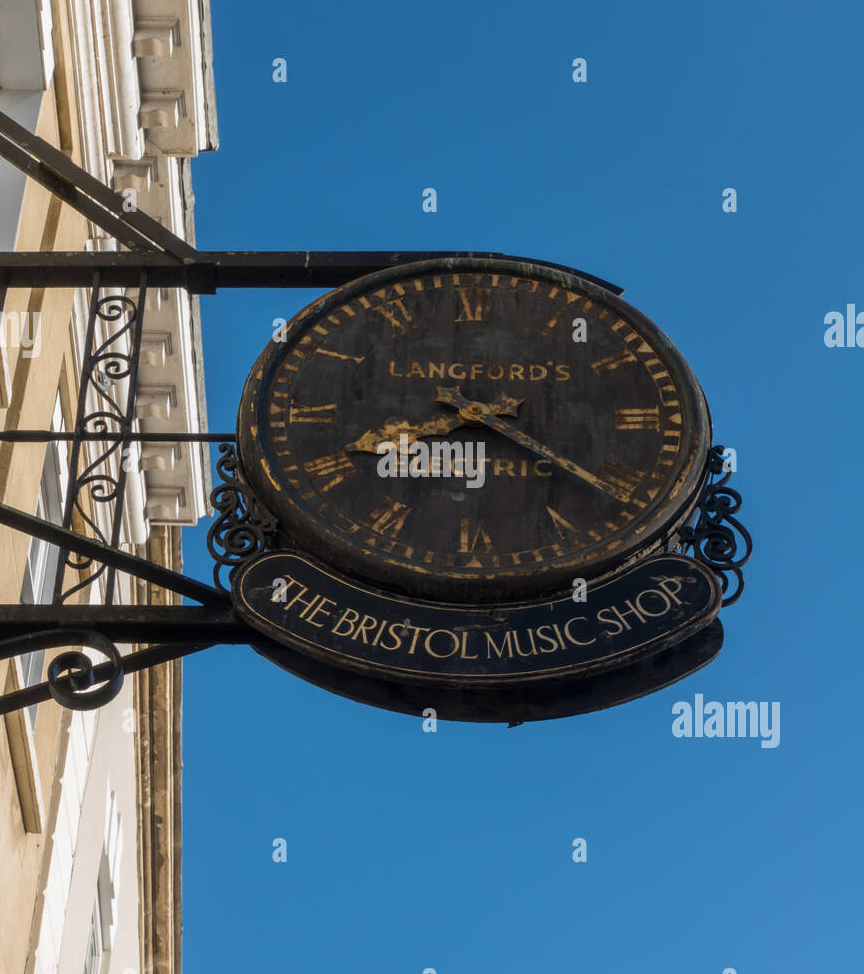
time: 8:20
